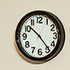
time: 10:23
